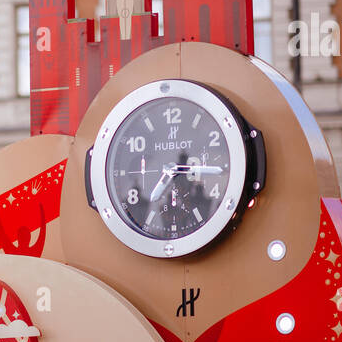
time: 7:15
